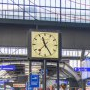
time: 11:24
